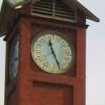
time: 11:26
